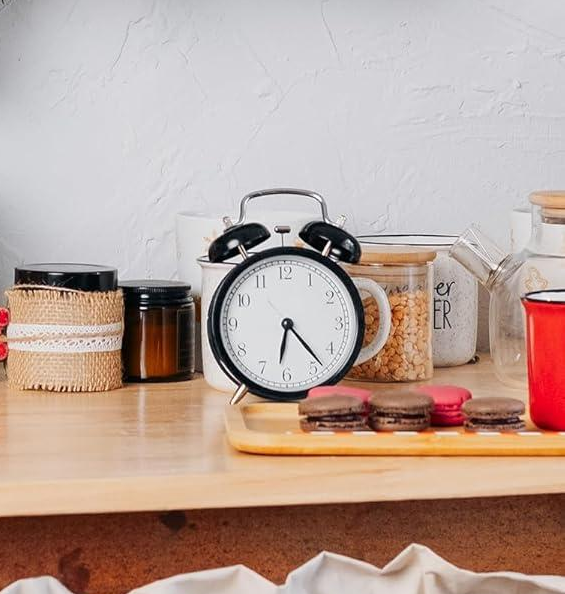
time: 6:23
